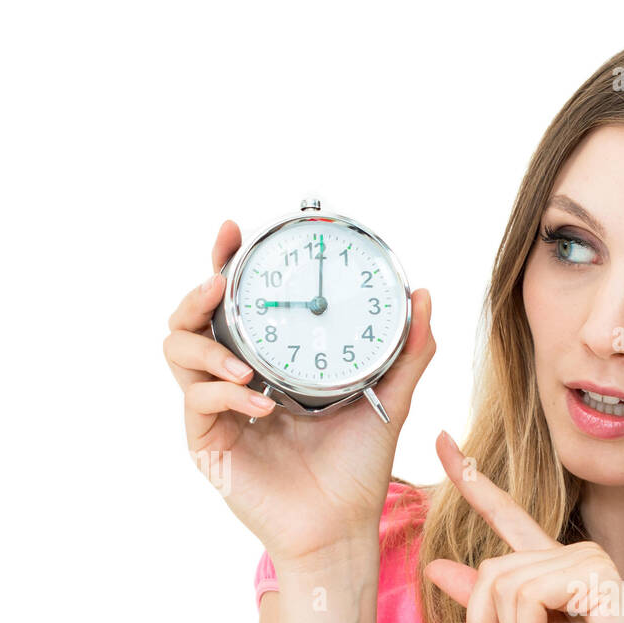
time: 9:00
